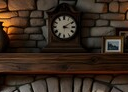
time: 3:09
